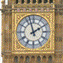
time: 1:57
